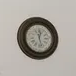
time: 12:27
